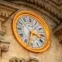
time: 3:32
